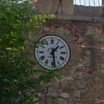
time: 1:28
